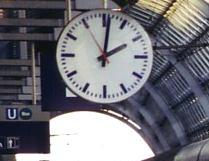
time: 2:01
